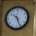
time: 10:26
